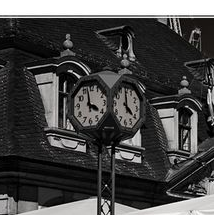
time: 3:58
